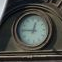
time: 12:46
